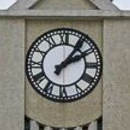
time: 2:06
